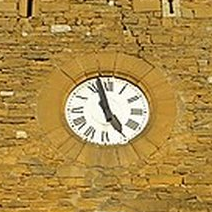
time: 4:57
